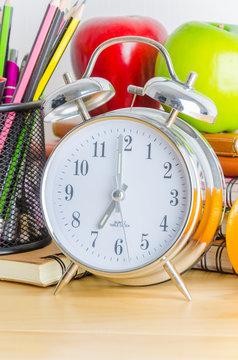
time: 7:00
